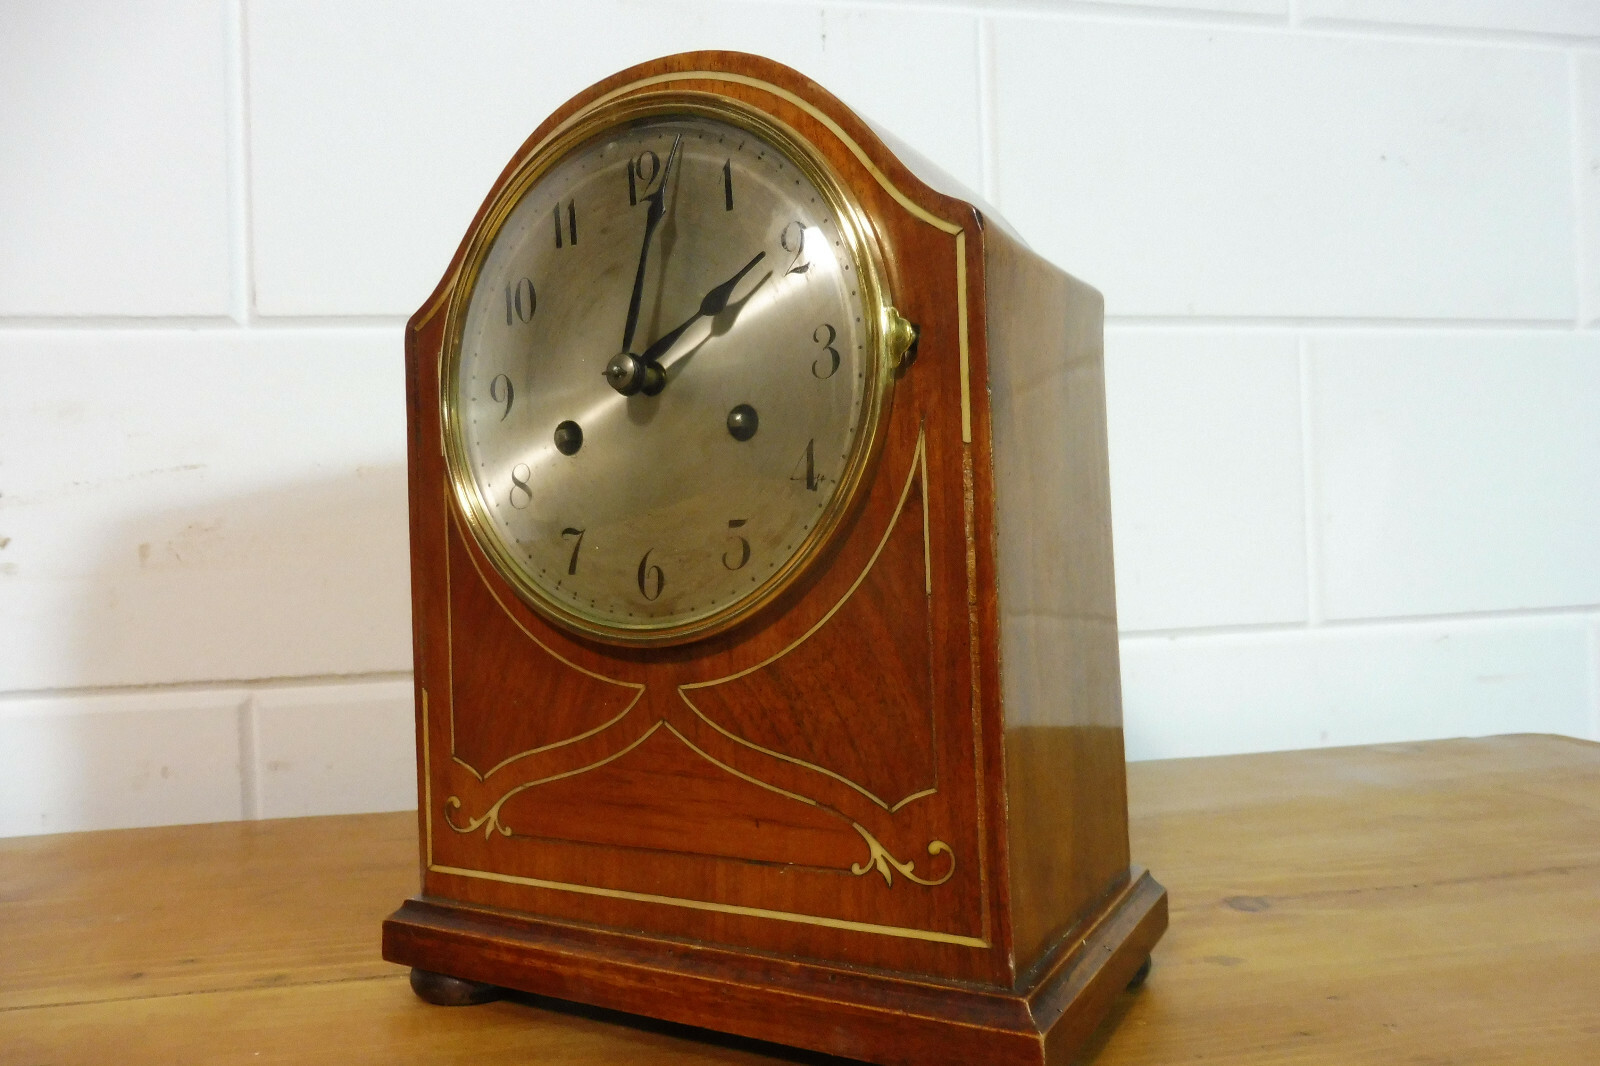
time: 2:01
